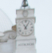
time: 11:05
